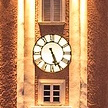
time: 5:26
